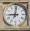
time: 9:01
